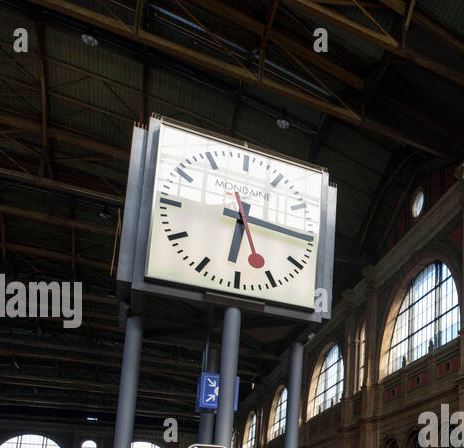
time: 5:15
